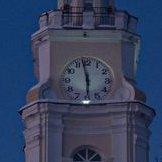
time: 5:58
